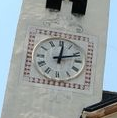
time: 12:11
